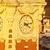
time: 4:12
